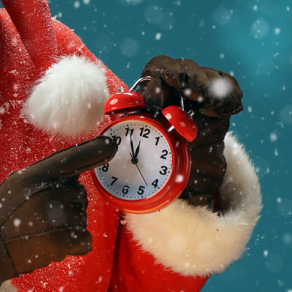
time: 11:55
